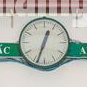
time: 12:33
